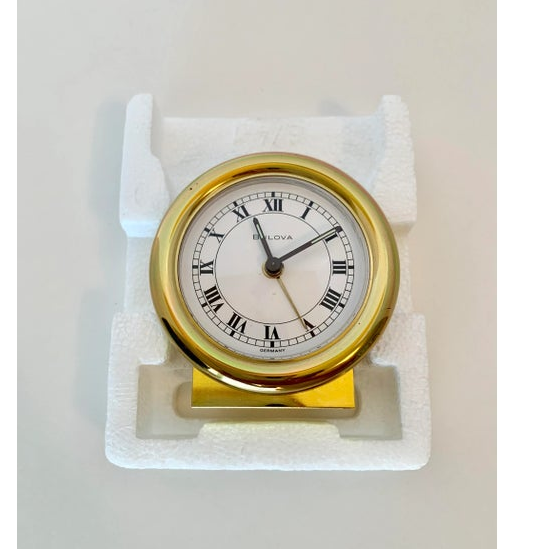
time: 11:09
